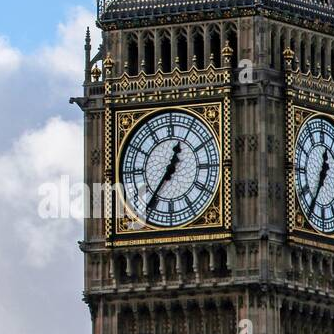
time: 12:36
